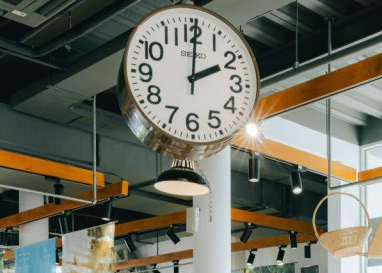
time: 2:00
